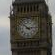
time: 2:52
